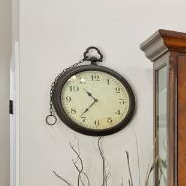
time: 10:36
